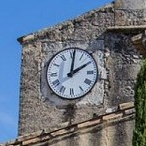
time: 2:01
